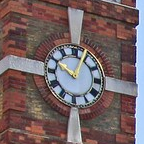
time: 10:04
